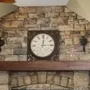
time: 12:14
